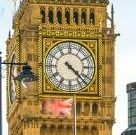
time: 4:22
